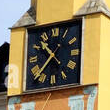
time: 10:37
